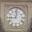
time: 9:01
